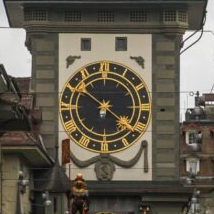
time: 10:20
